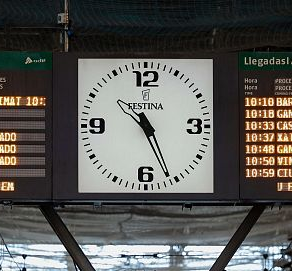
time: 10:26
